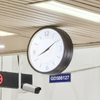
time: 8:09
